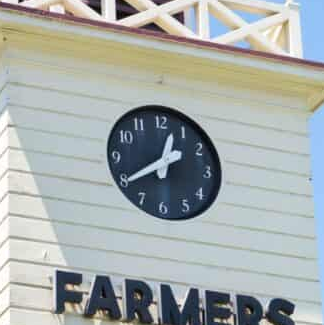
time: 12:39
